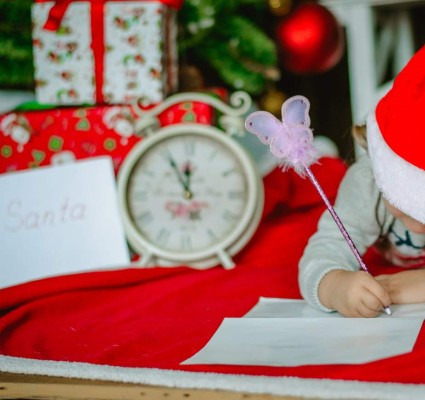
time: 11:55
